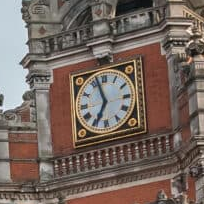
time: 6:57
